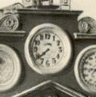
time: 7:38
